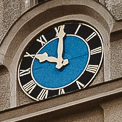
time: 10:00
